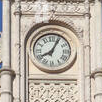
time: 8:04
